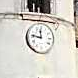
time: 11:46
